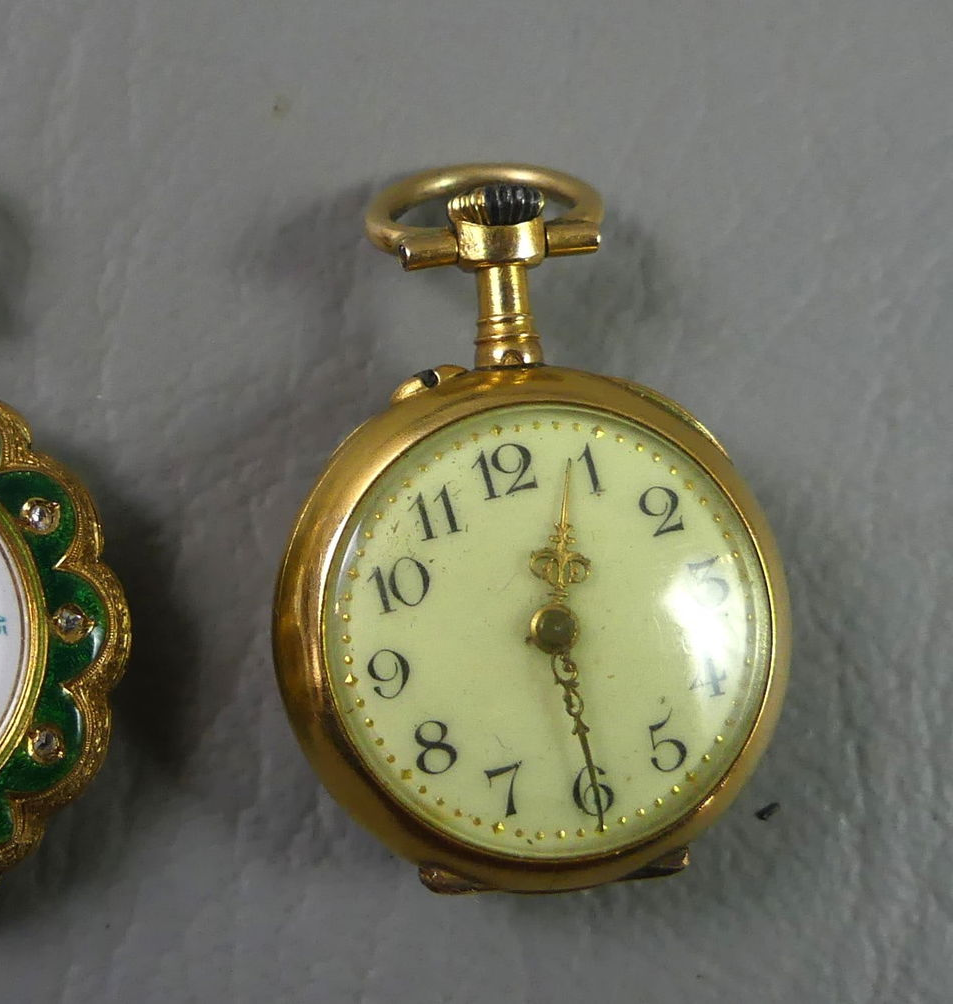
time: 12:29
